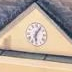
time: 6:05
